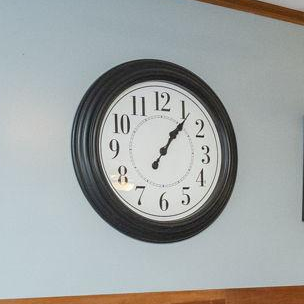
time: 1:06
